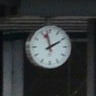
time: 1:57
